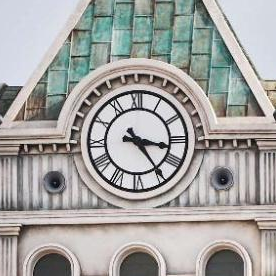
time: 3:24
